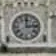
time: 12:13
